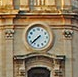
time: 7:37
